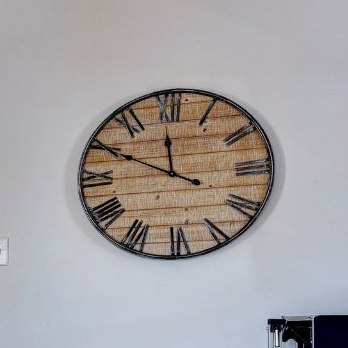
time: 11:49
